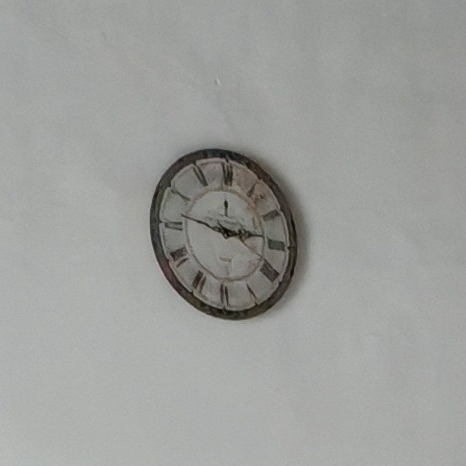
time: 2:46
